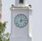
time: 12:13
